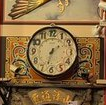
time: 1:32
